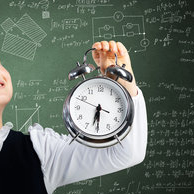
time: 6:29
